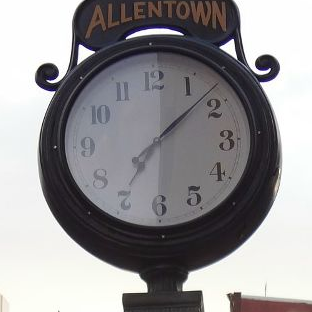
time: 7:07
